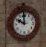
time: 9:59
